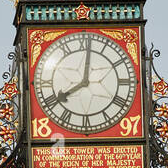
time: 8:01
